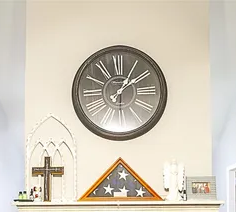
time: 1:09
